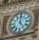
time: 5:00
